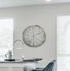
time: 6:10
